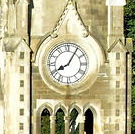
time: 8:05
